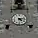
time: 4:12
